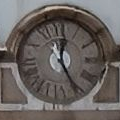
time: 12:24
